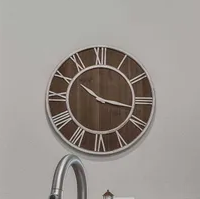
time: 10:16
